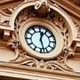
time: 12:27
